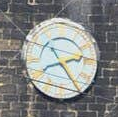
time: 2:24
